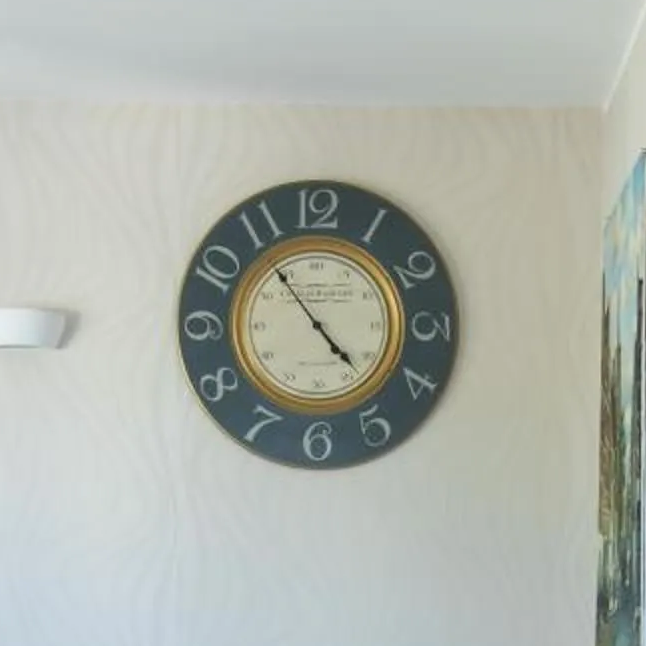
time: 4:54
